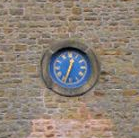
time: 12:33
